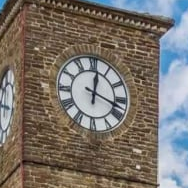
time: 12:18
